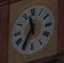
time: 11:35
